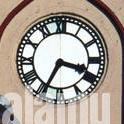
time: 3:34
